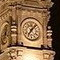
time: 7:07
